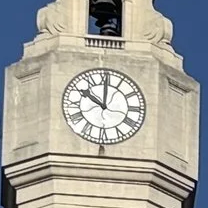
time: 10:00
